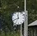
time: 11:41
